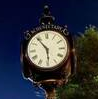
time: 5:54
